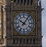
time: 10:06
